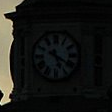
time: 5:20
